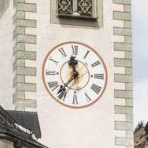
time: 11:36
